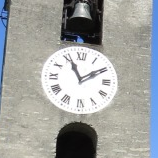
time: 11:09
